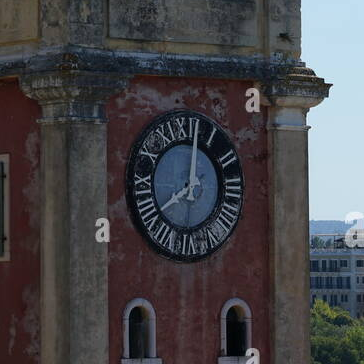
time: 8:01
